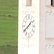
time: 1:39
